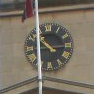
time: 10:14
